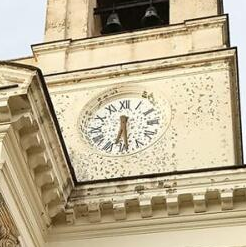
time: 6:28
